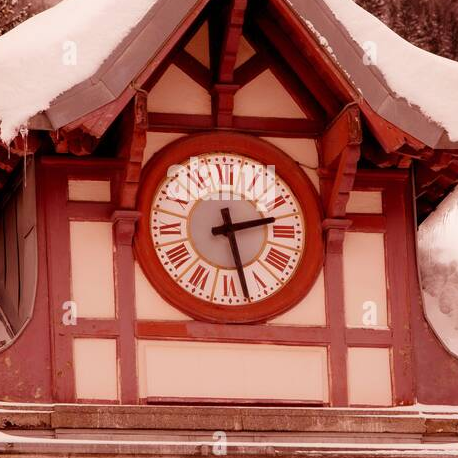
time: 2:27
